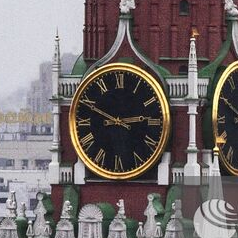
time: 2:49
